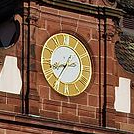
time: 8:36
